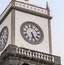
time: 5:26
